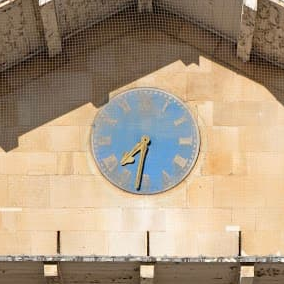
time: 7:32
